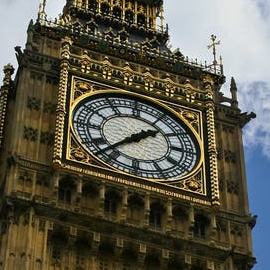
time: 1:37
